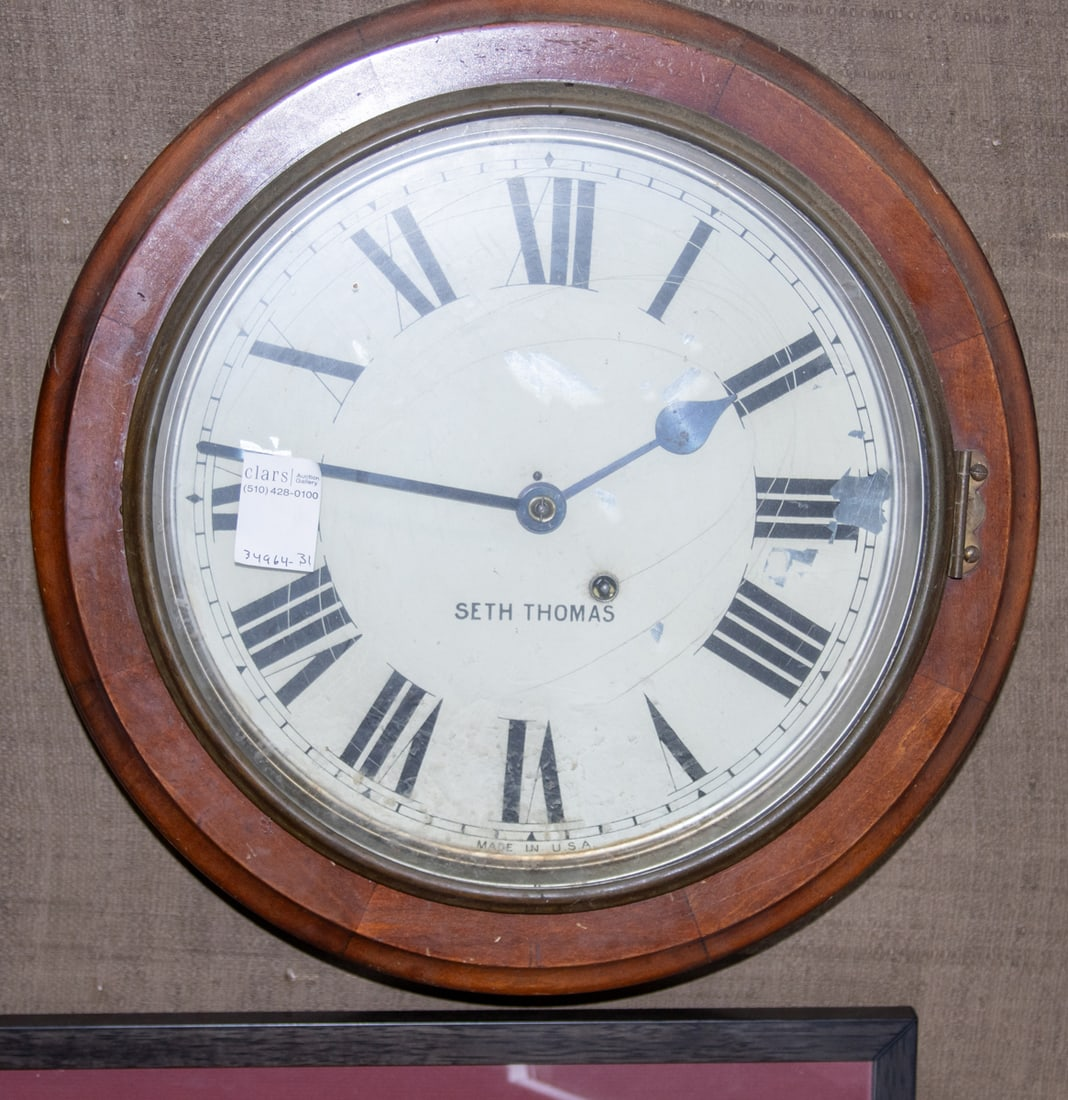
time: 9:09
